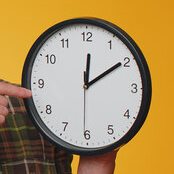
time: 12:09
